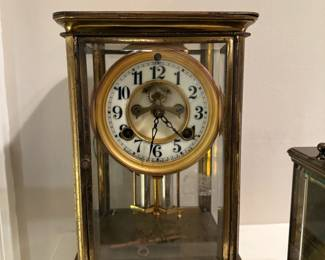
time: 6:21
